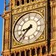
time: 8:37
